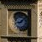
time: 8:07
